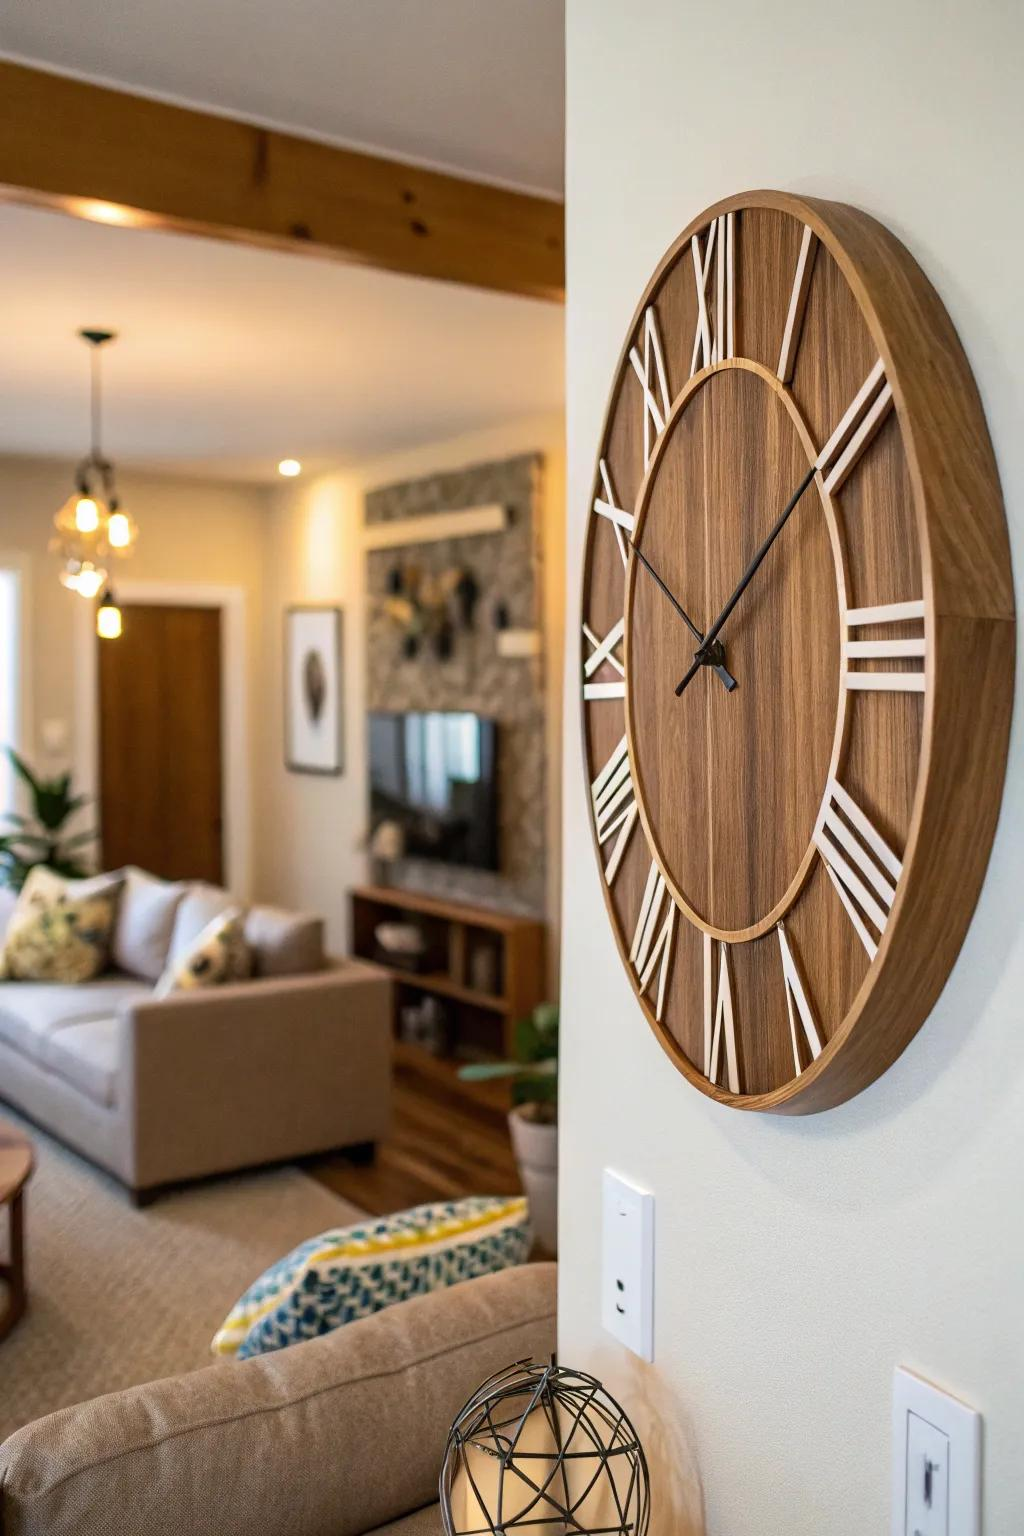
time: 8:09
